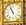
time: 10:56
